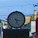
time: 3:26
